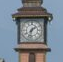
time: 1:32
